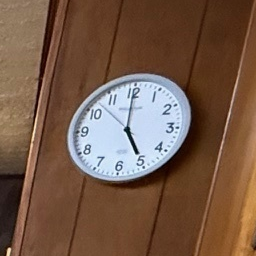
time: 4:59
